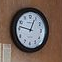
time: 12:46
